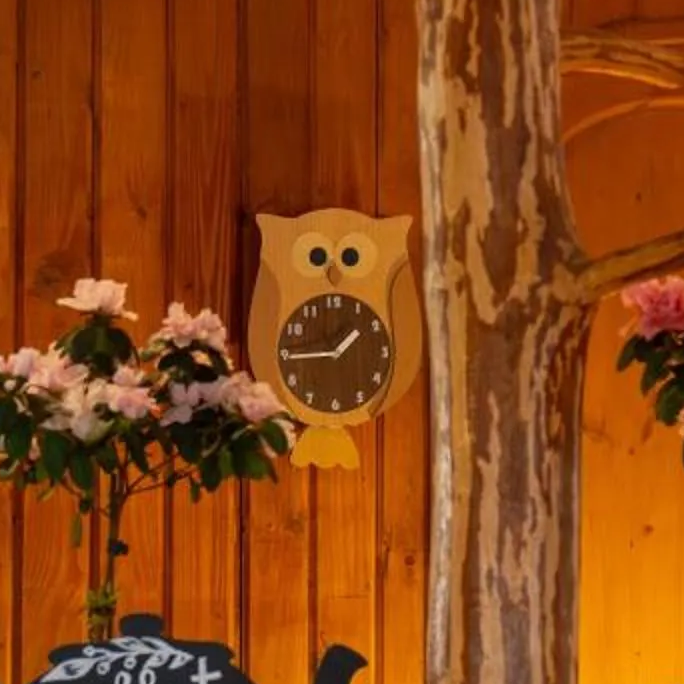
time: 1:44
